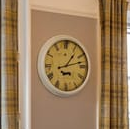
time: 1:12
